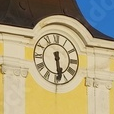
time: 5:28
